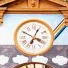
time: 4:04
